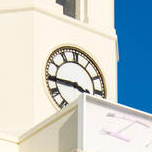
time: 3:44
